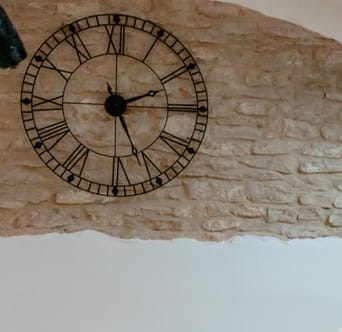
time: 2:25
